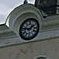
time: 1:46
